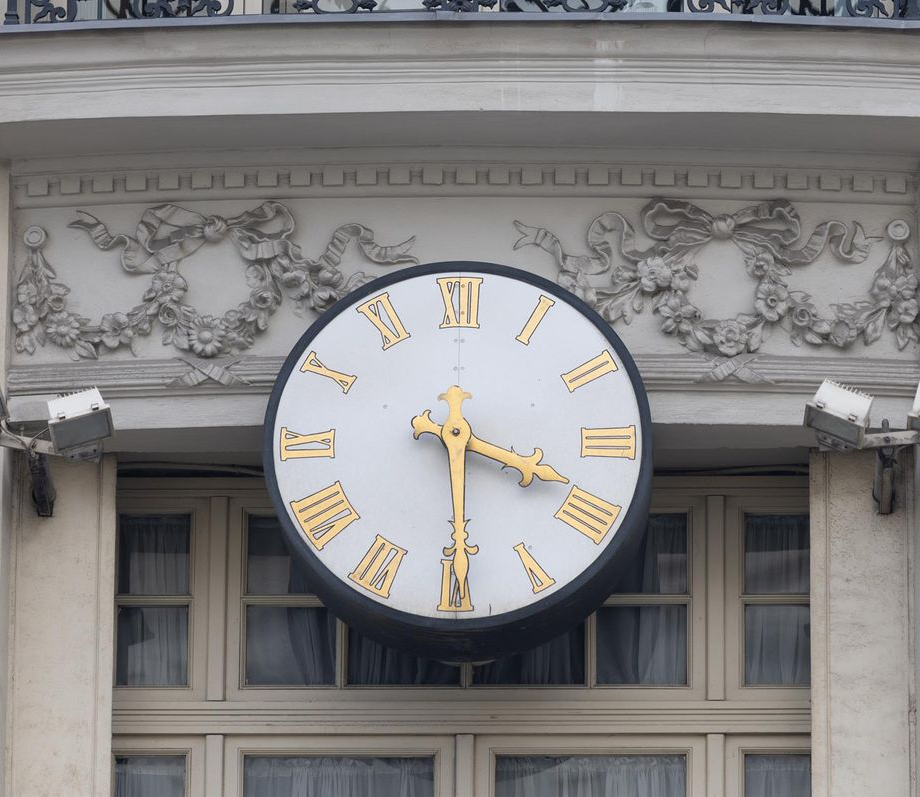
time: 3:29
